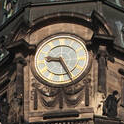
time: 9:25
